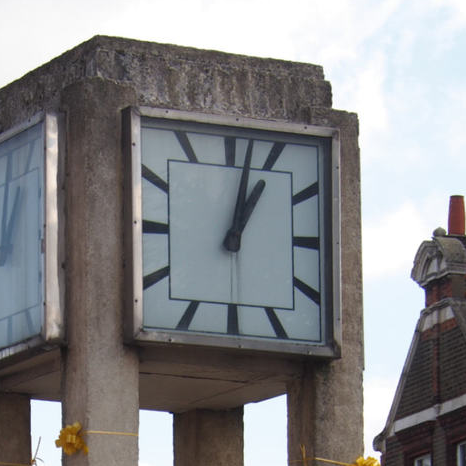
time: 1:02
